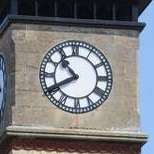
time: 10:40
